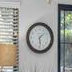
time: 1:28
